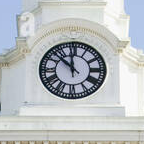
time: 11:52
